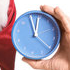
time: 11:55
